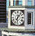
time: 6:06
